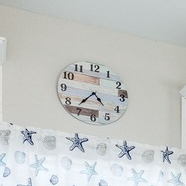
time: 4:36
